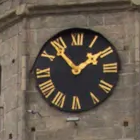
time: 1:53
